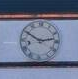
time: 2:50
